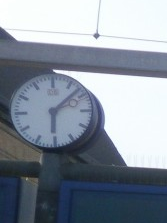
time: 6:07
